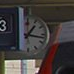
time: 1:16
